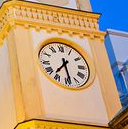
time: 7:28
